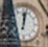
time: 12:02
